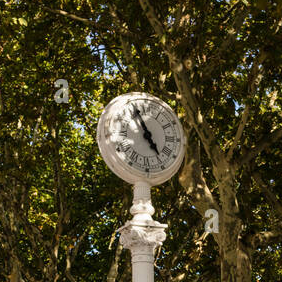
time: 4:56
